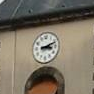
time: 3:11
